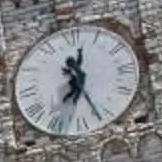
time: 12:26
